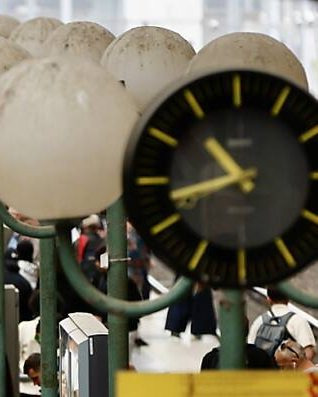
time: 10:42
